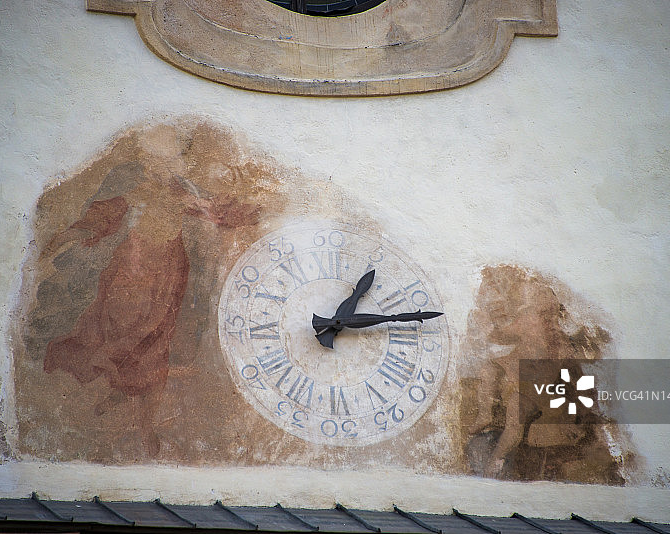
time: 1:13
